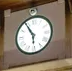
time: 5:54
